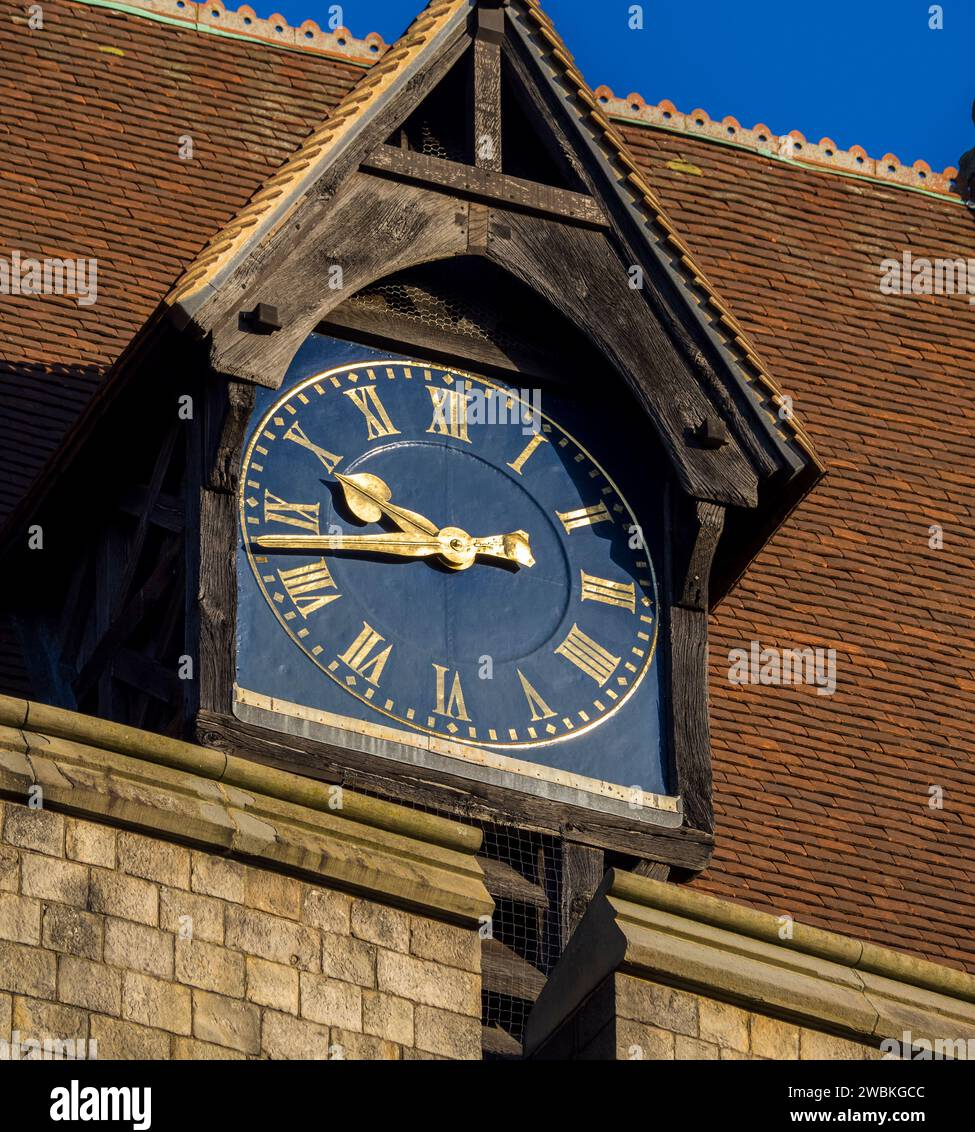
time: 9:43
